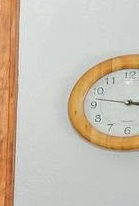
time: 3:47
